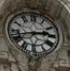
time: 2:42
